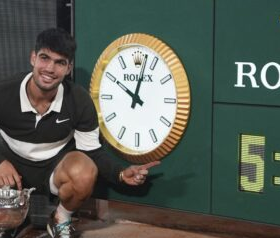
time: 10:02
